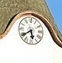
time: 5:38
